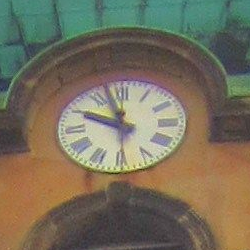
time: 9:57
